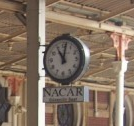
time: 11:01
